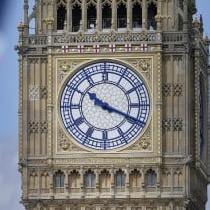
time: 10:18
